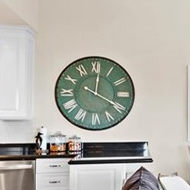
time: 12:19
